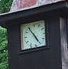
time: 4:54
